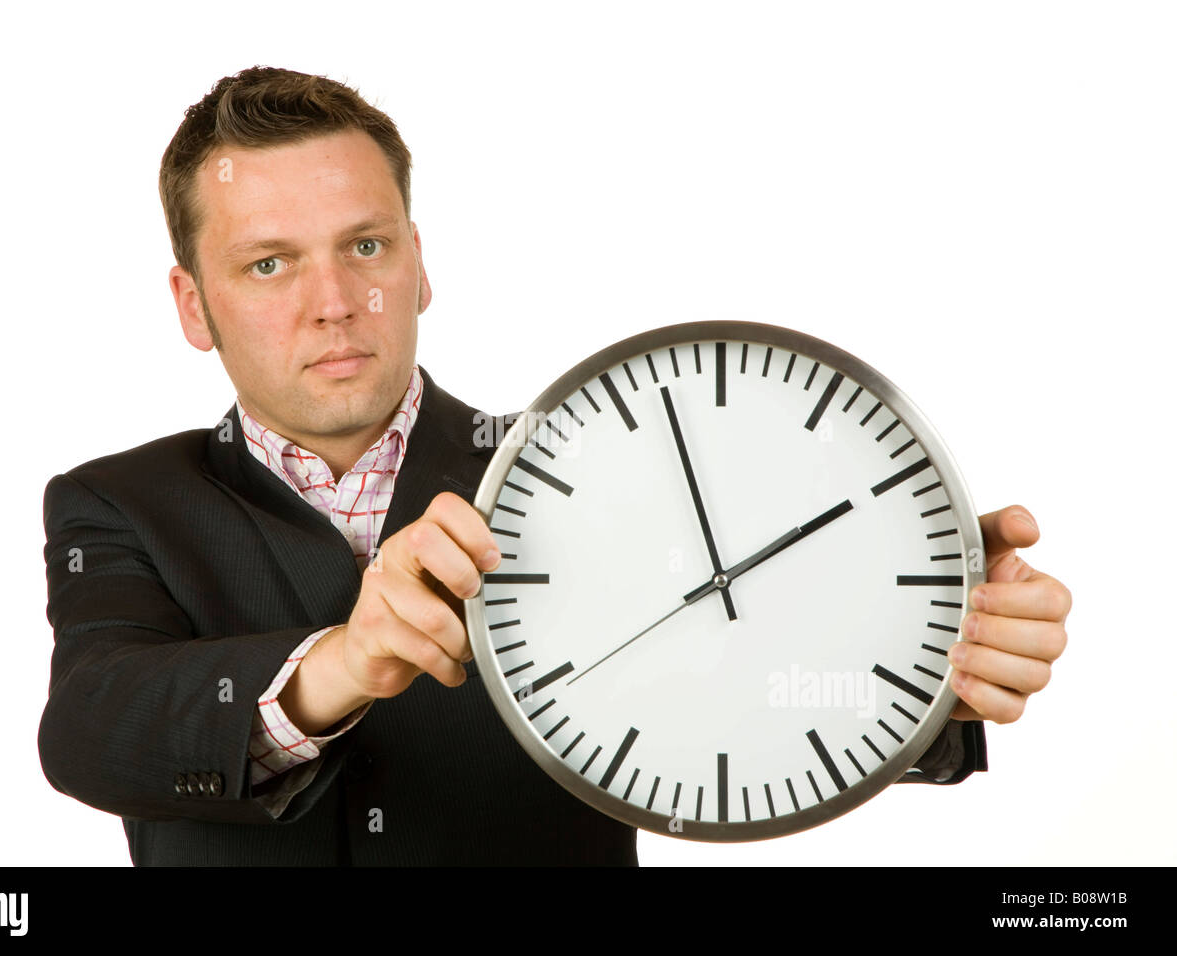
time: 1:57
